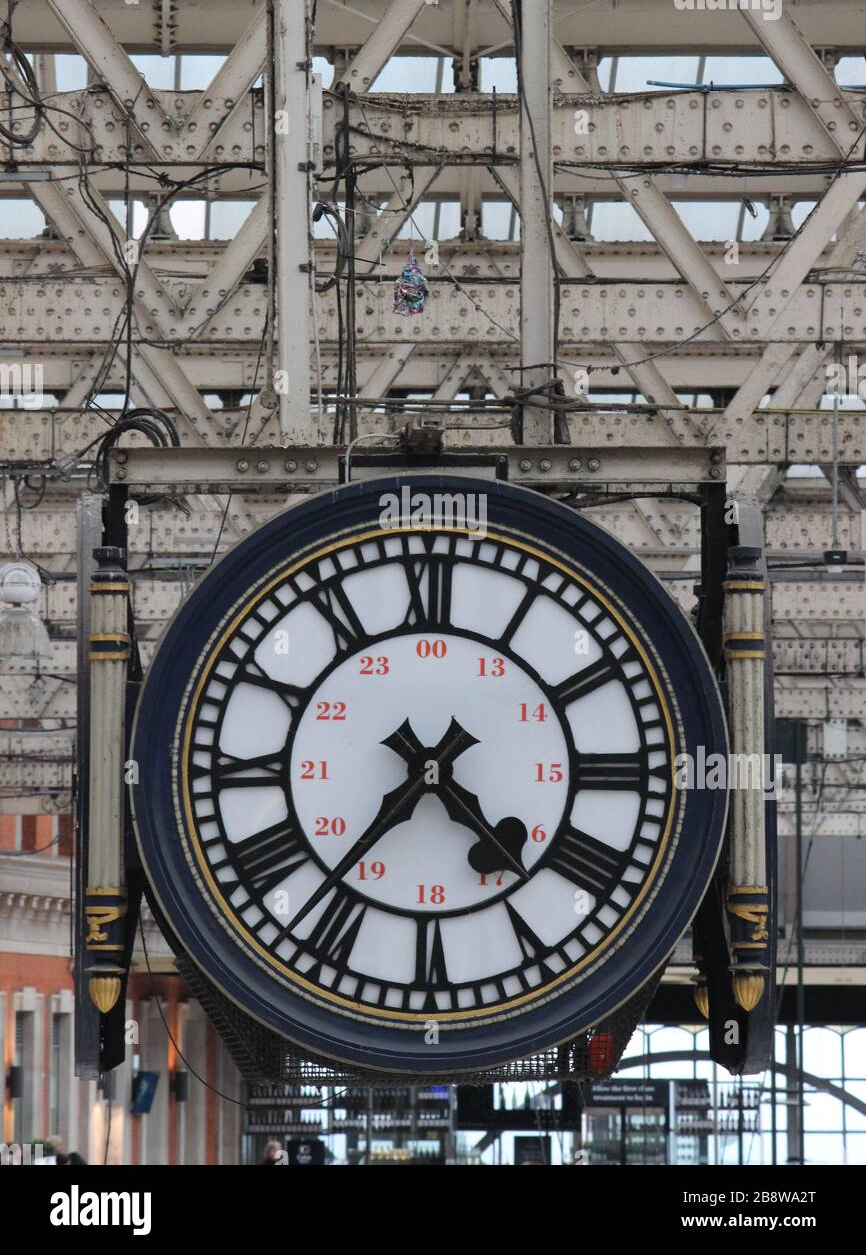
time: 4:36
